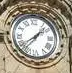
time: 1:39
